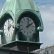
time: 2:01
